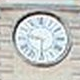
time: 9:30
